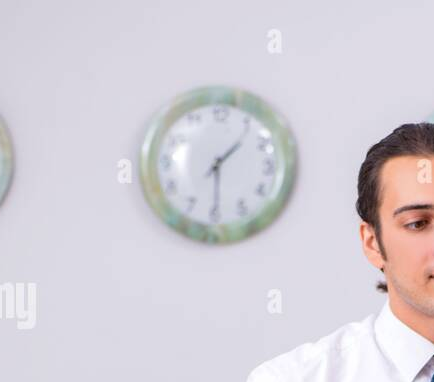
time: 1:29
